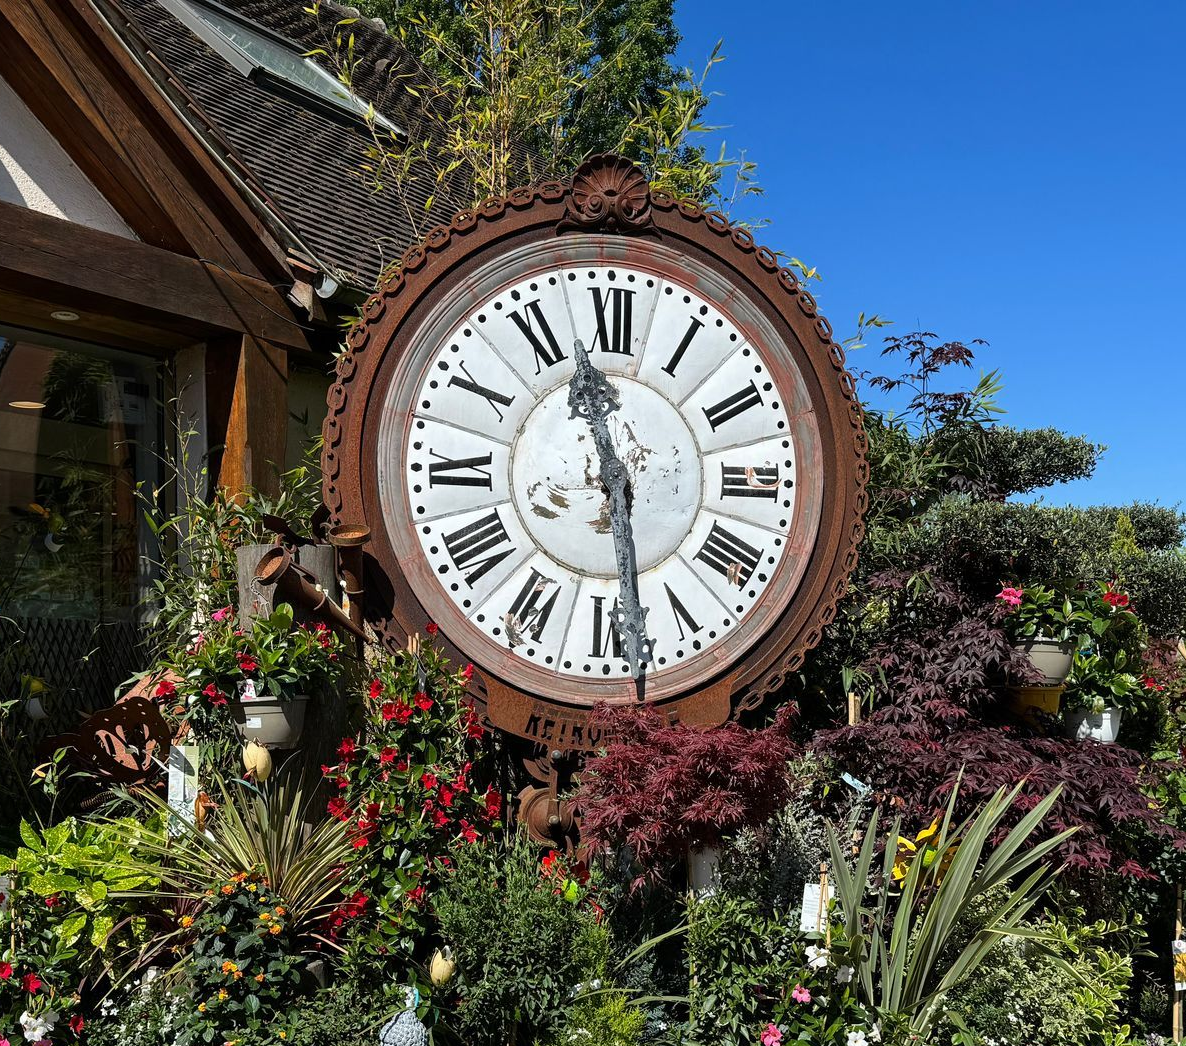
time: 11:28
